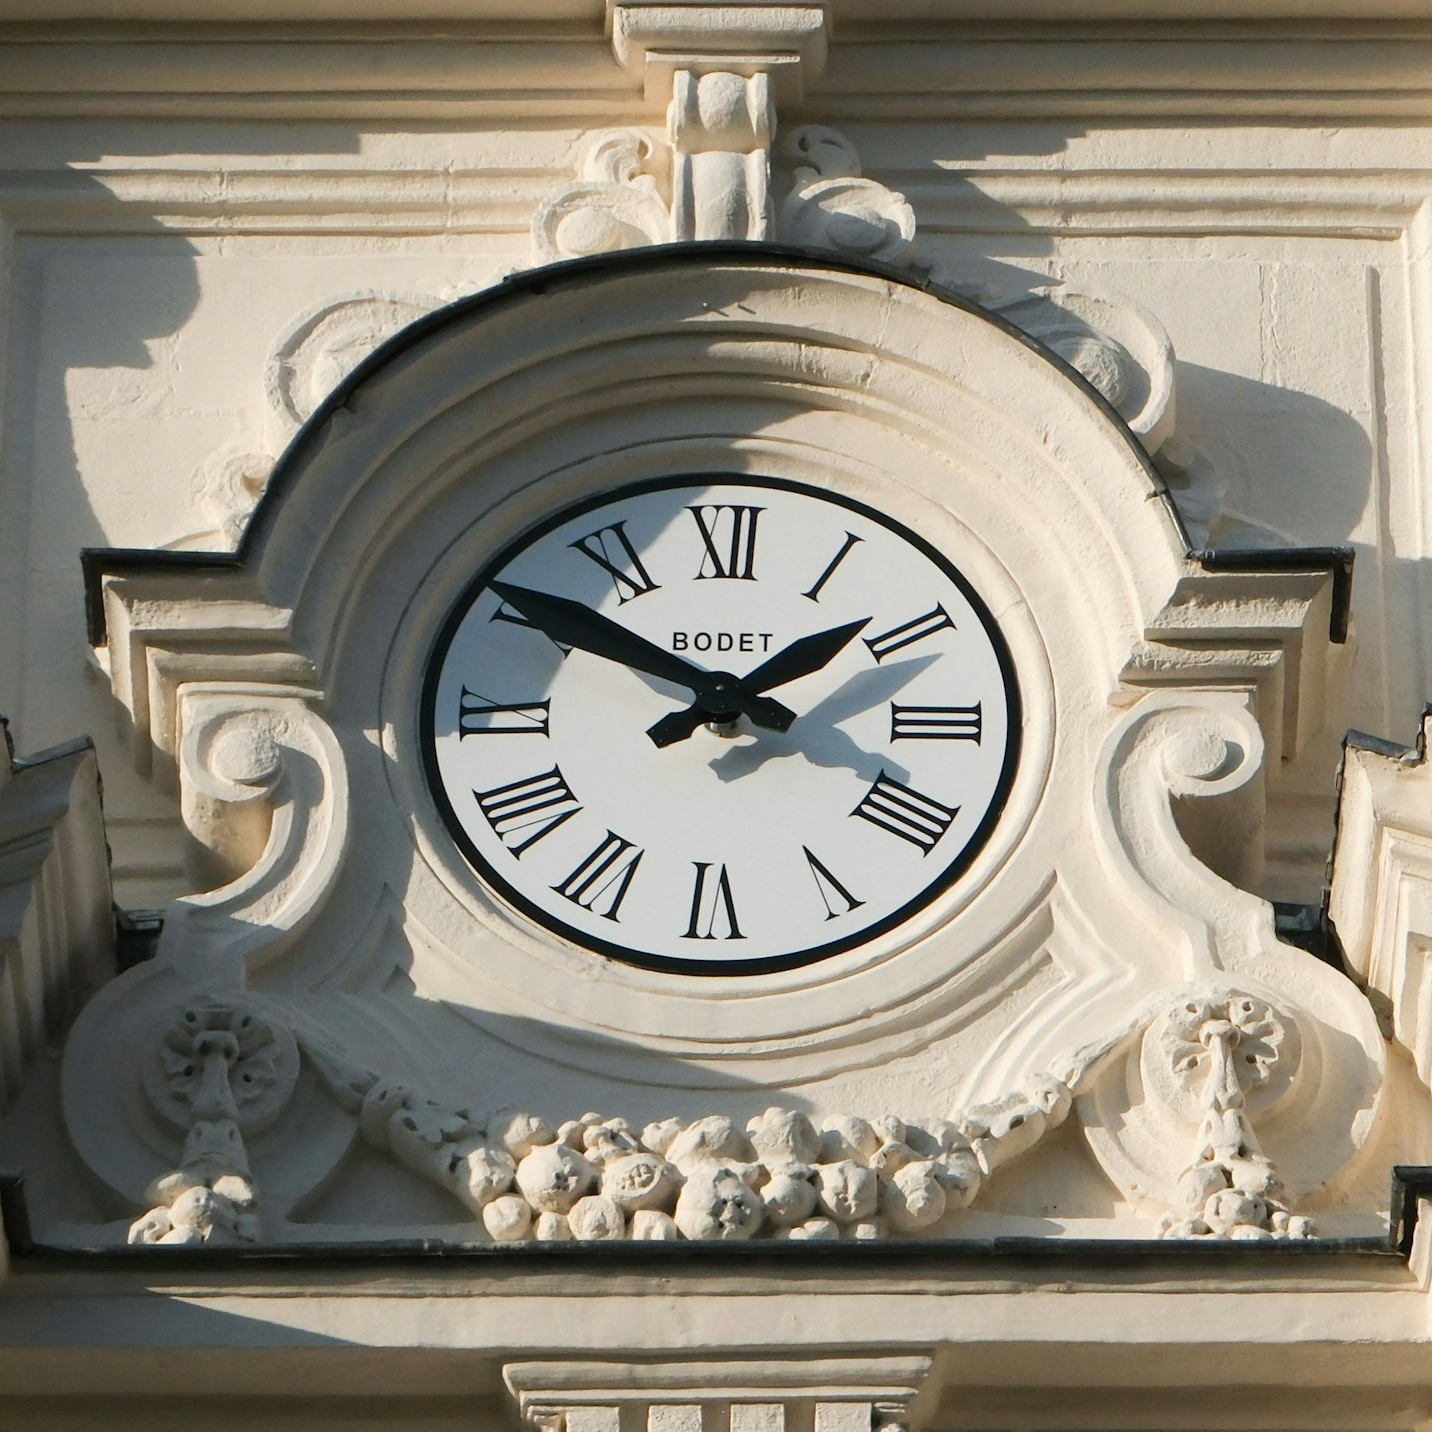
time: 1:50
